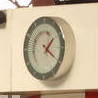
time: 1:20
